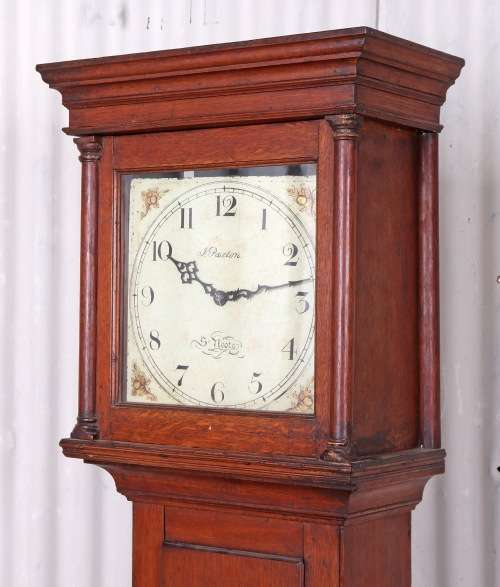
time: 10:13
